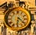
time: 6:21
